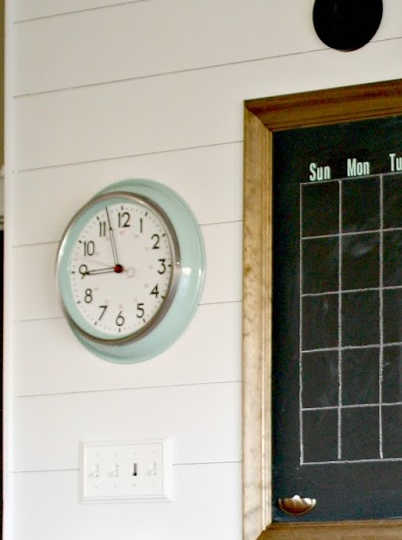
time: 8:57
